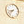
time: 8:37
